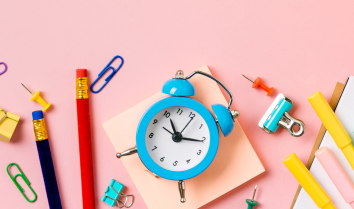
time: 11:15
